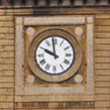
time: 9:58
